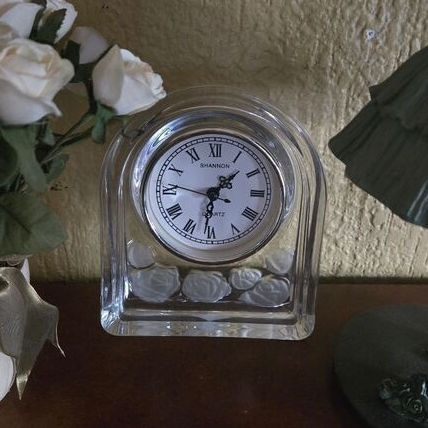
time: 1:31
